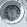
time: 11:28
